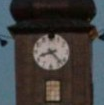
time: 8:23
